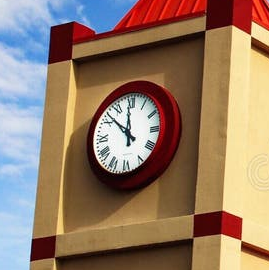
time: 11:51
